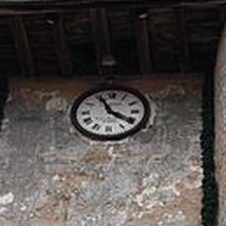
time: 3:55
